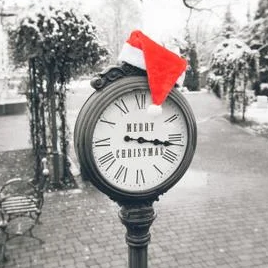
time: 3:16
